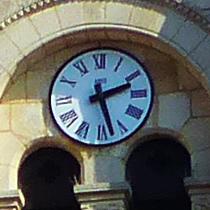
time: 2:27
